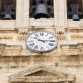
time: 10:14
